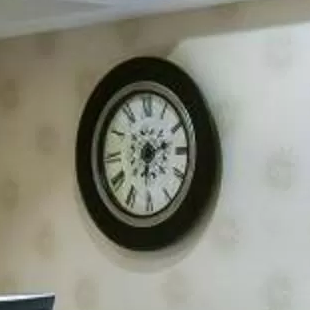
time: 6:13
